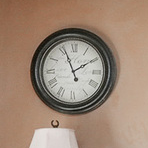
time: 1:56
